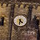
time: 4:31
